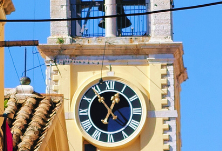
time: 12:53
